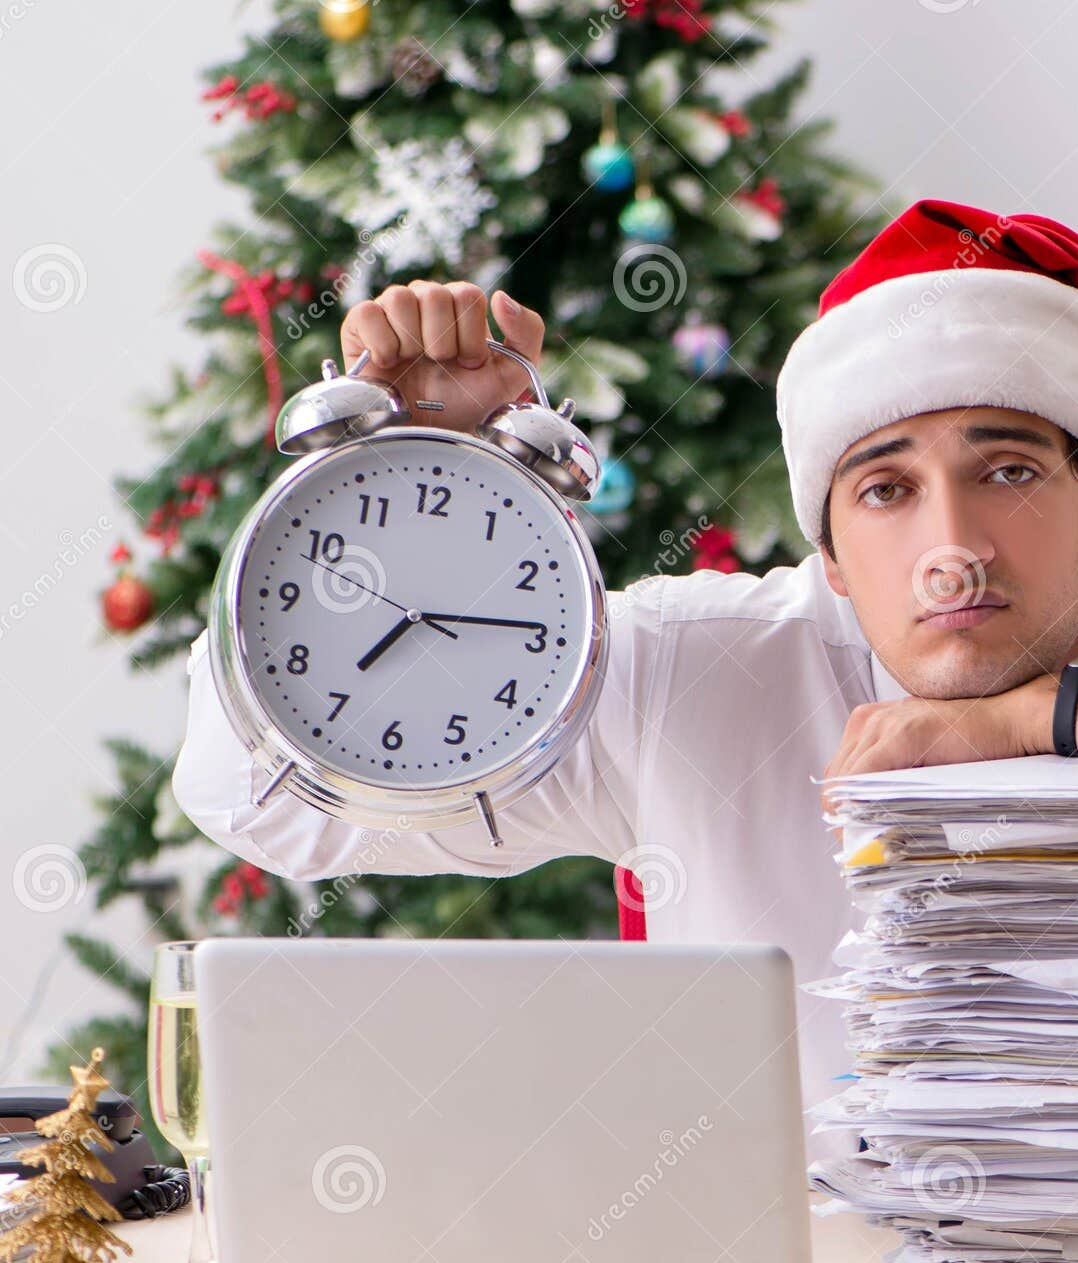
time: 7:14
